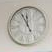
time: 11:55
